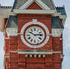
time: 10:13
